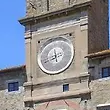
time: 11:41
